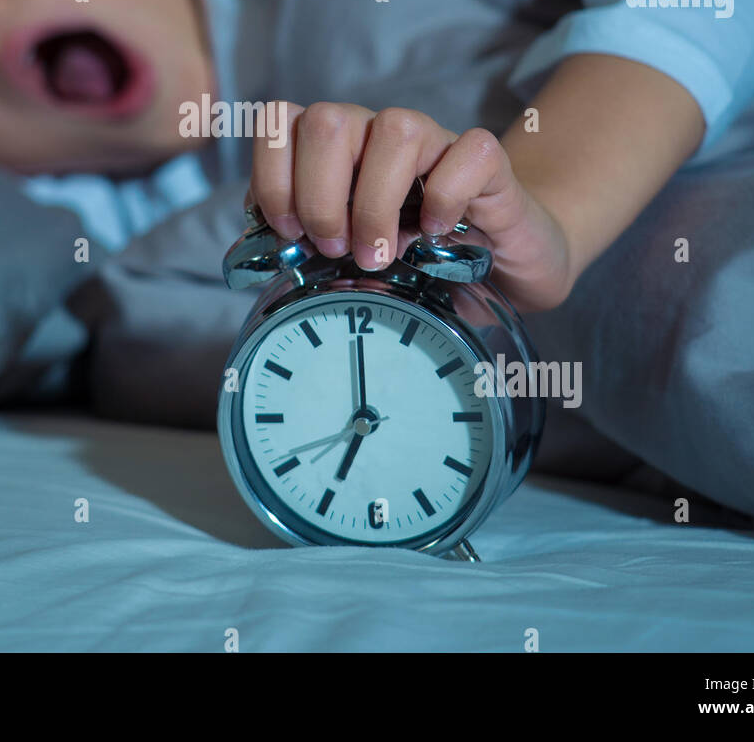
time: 7:00
